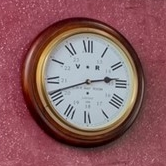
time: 2:41
